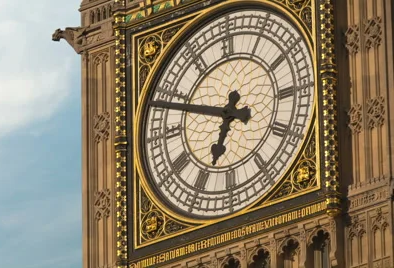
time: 6:48
